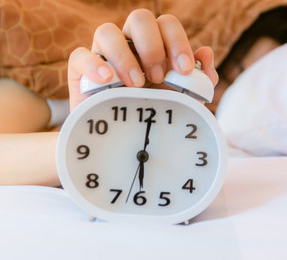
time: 6:01
